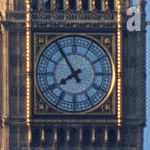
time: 7:54
